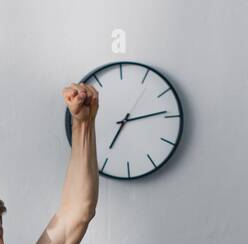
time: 7:13
